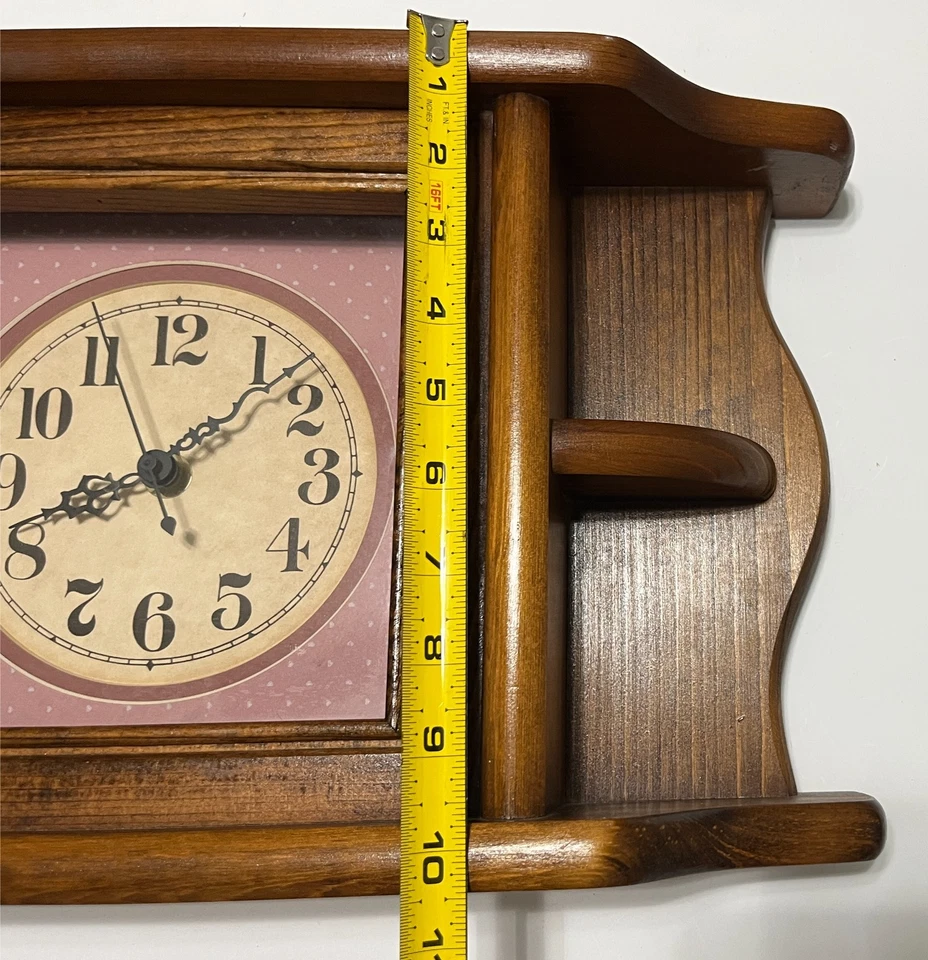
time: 8:07
